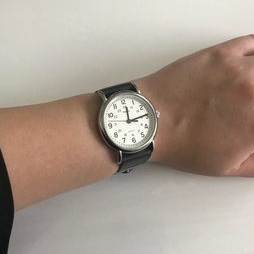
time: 12:14
